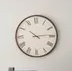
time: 10:13
